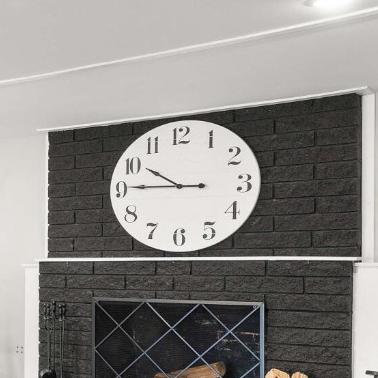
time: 9:45
